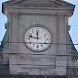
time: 11:47
